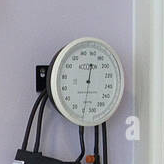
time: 12:30
